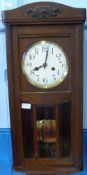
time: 8:02
